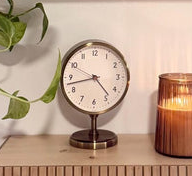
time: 4:42
